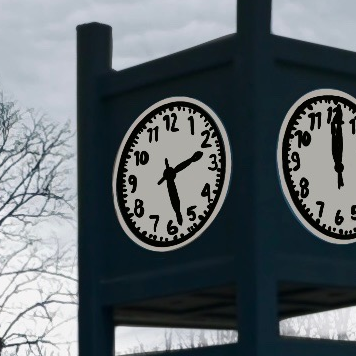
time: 2:27
